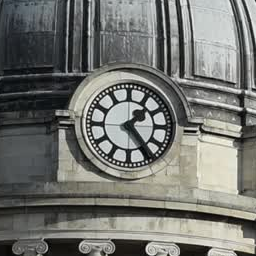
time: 1:23
